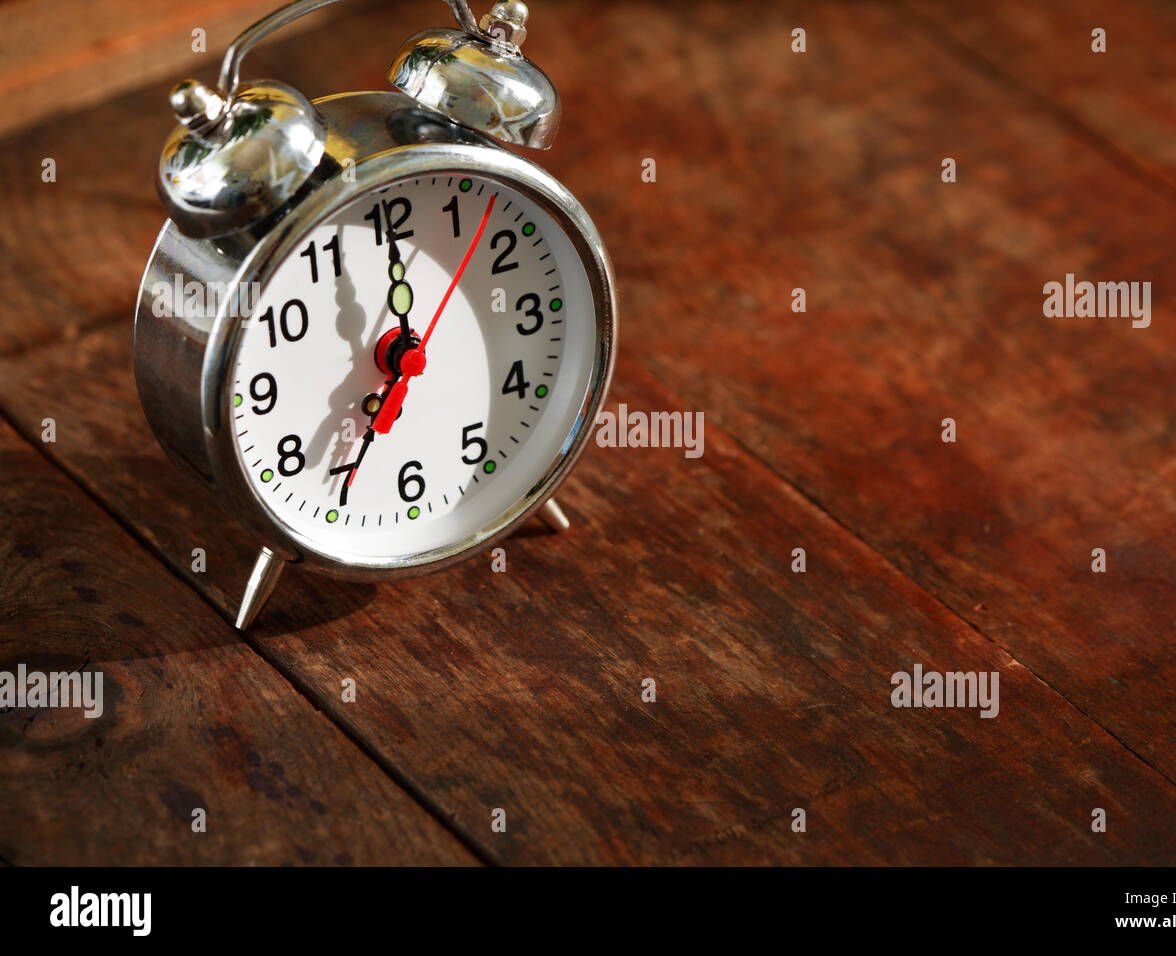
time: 7:00
